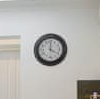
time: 4:00
